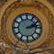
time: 2:13
